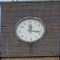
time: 12:17
